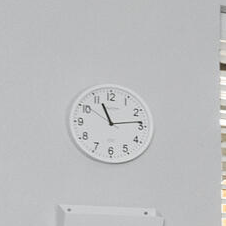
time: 11:13
